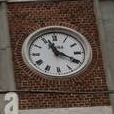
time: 11:19
